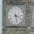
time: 3:27
